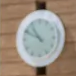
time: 10:49
